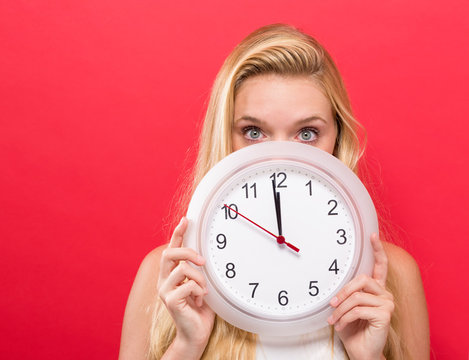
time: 11:58
